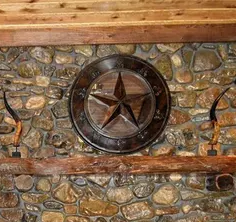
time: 7:24
